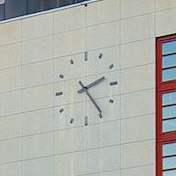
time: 2:24
